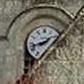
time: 1:42
